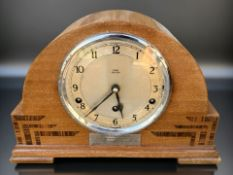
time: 5:36
